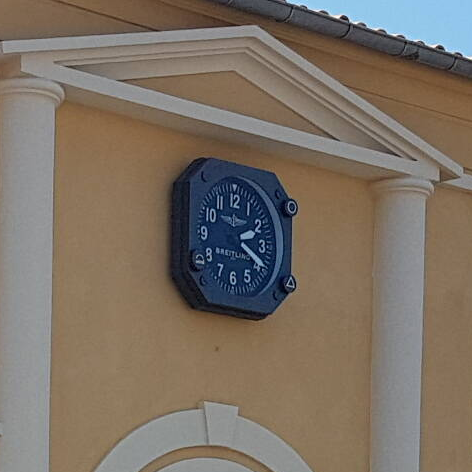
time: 2:19
